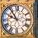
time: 9:53
